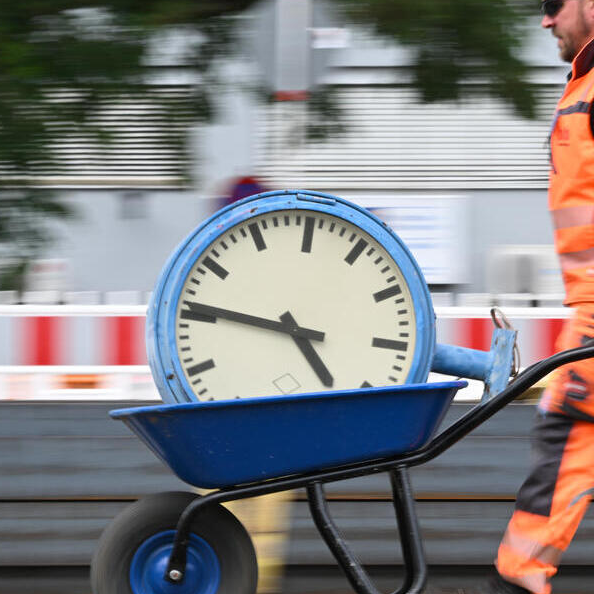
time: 4:46
